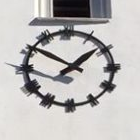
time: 1:50
